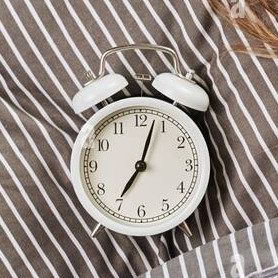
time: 7:03
